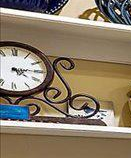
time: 4:14
